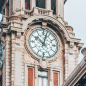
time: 10:02
